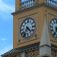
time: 4:36
